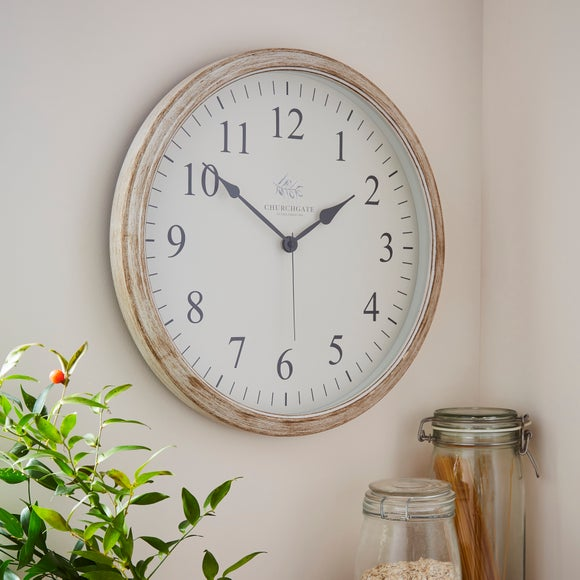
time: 1:51
